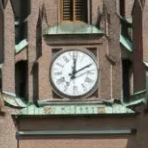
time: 12:10
